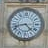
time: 8:22
